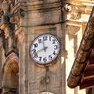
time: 11:42
